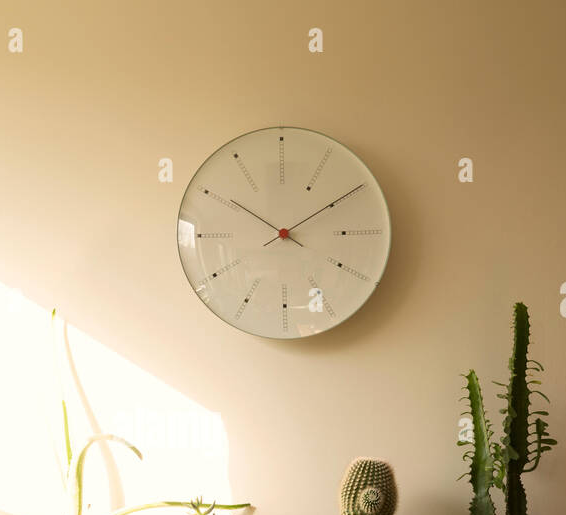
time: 10:09
